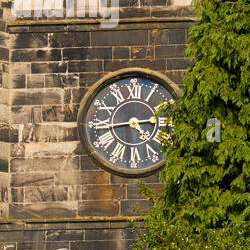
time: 4:43
